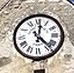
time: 12:22
